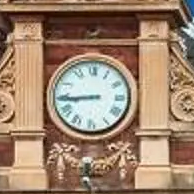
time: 8:44
